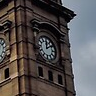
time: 12:09
